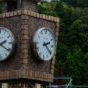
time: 2:21
